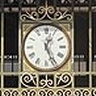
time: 12:26
